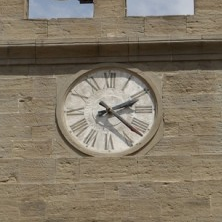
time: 2:21
